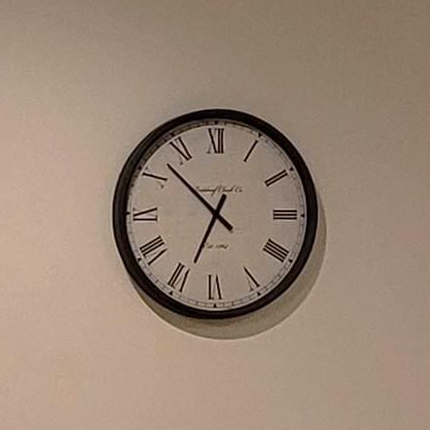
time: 6:52
